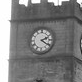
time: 2:21
